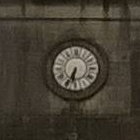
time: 6:34
